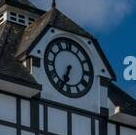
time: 6:34
